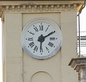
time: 6:10
